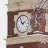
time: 1:56
